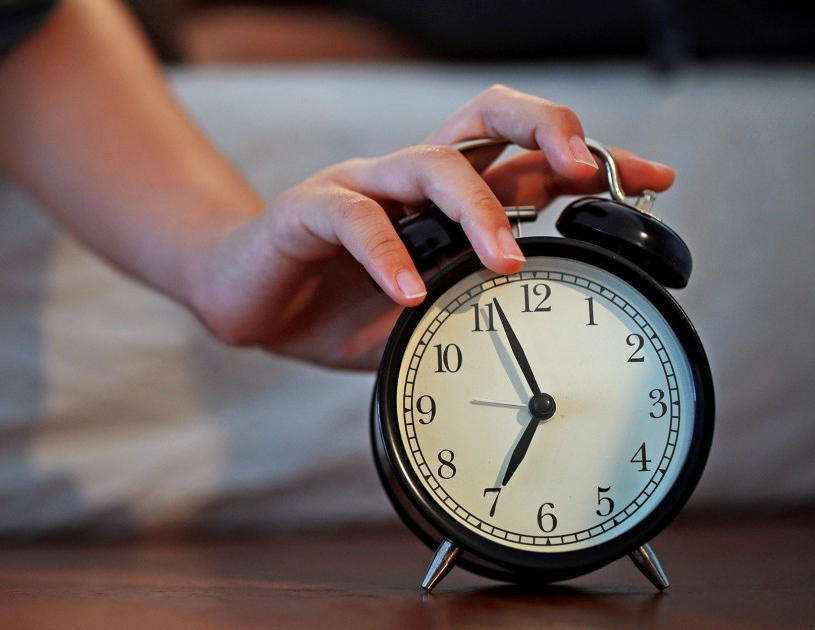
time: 6:56
